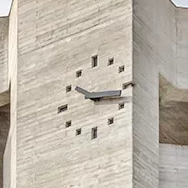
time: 10:17
